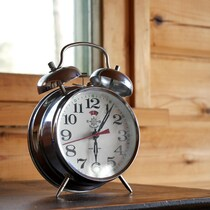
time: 6:06
